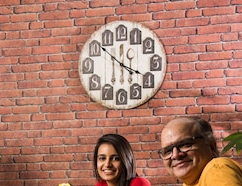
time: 3:51
